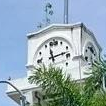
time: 11:12
